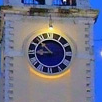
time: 8:52
